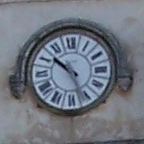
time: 10:26
